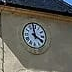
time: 3:58
